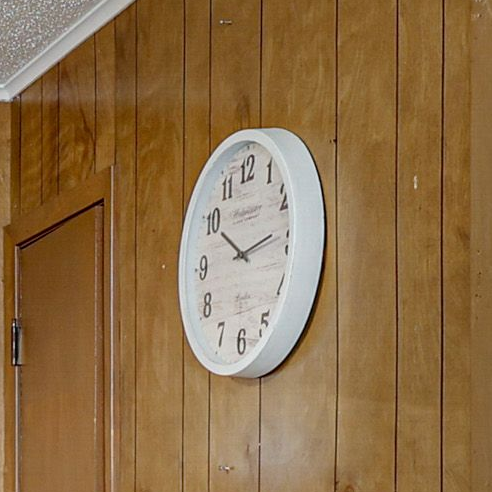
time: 10:13
